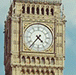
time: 4:36
